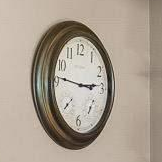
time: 2:46
